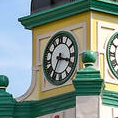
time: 3:35
